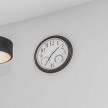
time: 1:35
